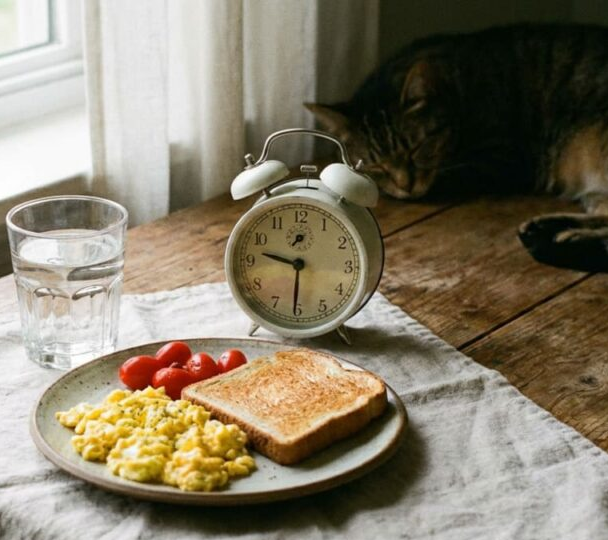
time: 9:30
